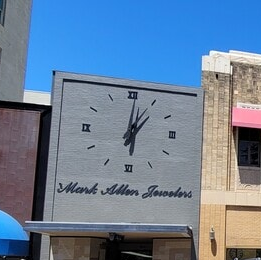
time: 1:01
